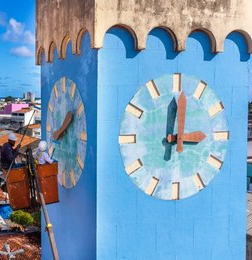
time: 3:01
